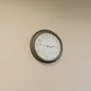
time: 2:46
